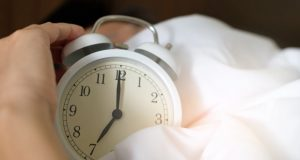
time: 7:00
